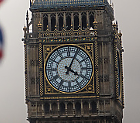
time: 4:04
